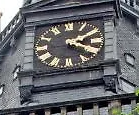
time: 4:09
